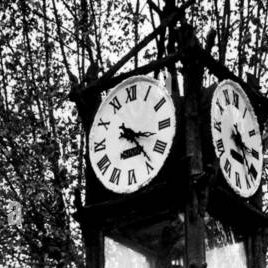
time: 3:23
